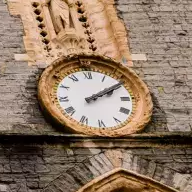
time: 2:09
